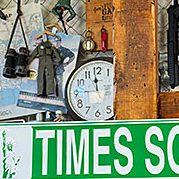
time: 11:45
